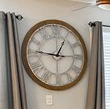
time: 12:46
